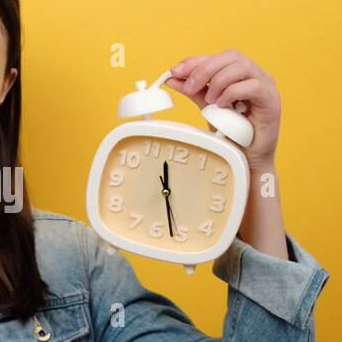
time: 11:26
